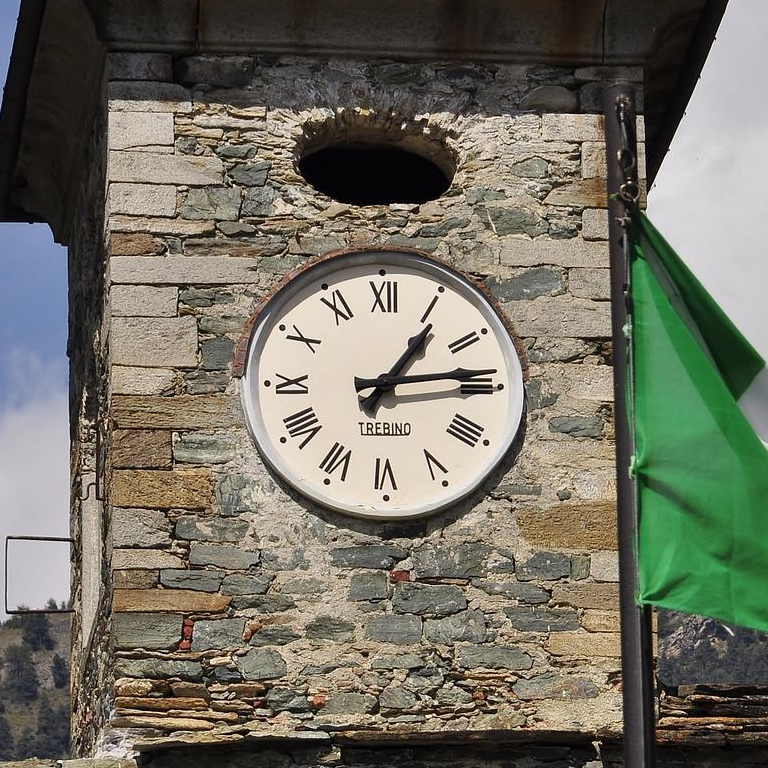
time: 1:13
